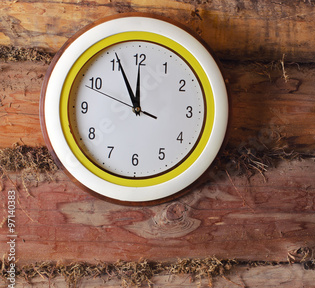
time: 11:55
